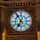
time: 6:54
